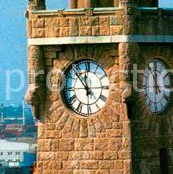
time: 11:53
